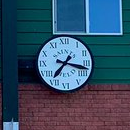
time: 7:17
